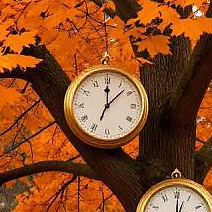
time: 12:07
